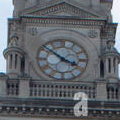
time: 3:51
